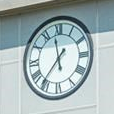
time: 11:36
